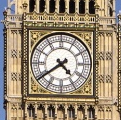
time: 4:39
